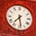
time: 7:28
